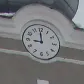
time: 8:59
